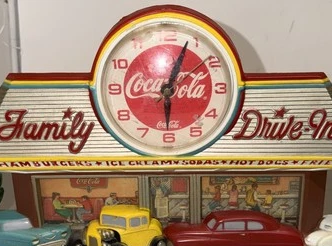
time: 6:03
